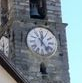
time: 12:23
